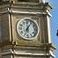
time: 12:05
